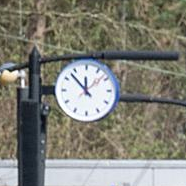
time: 11:52
